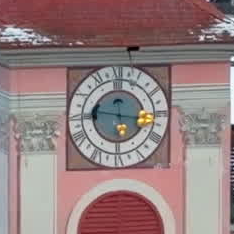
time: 9:15
